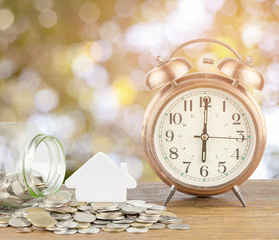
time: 6:00
